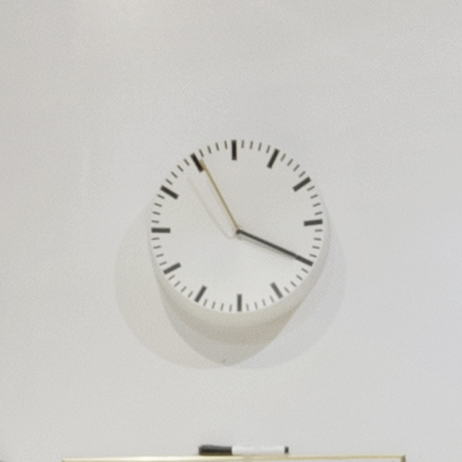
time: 3:55
